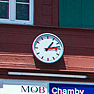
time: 1:13
